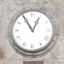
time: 12:54
